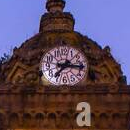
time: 7:15
